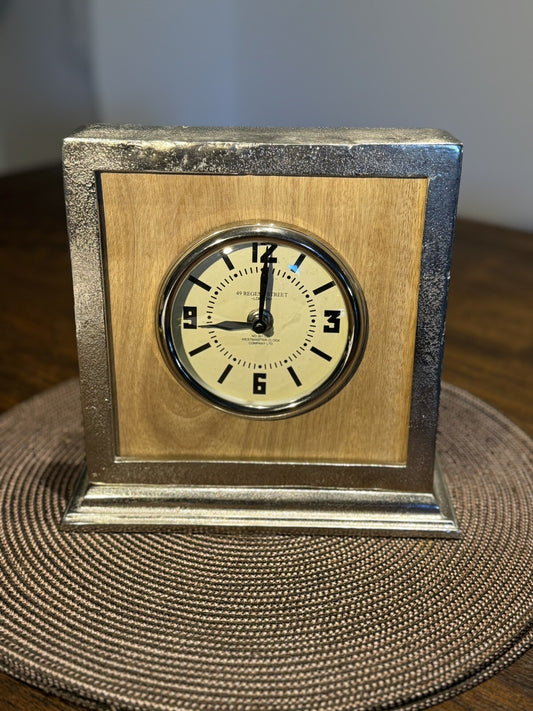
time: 9:00
